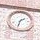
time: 1:32
